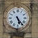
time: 5:23
